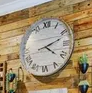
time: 4:11
